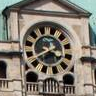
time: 3:40
